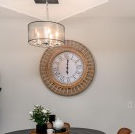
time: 6:00
